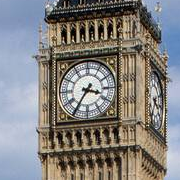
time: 3:35
